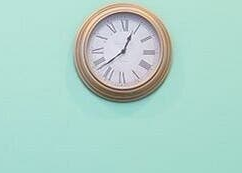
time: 12:38
